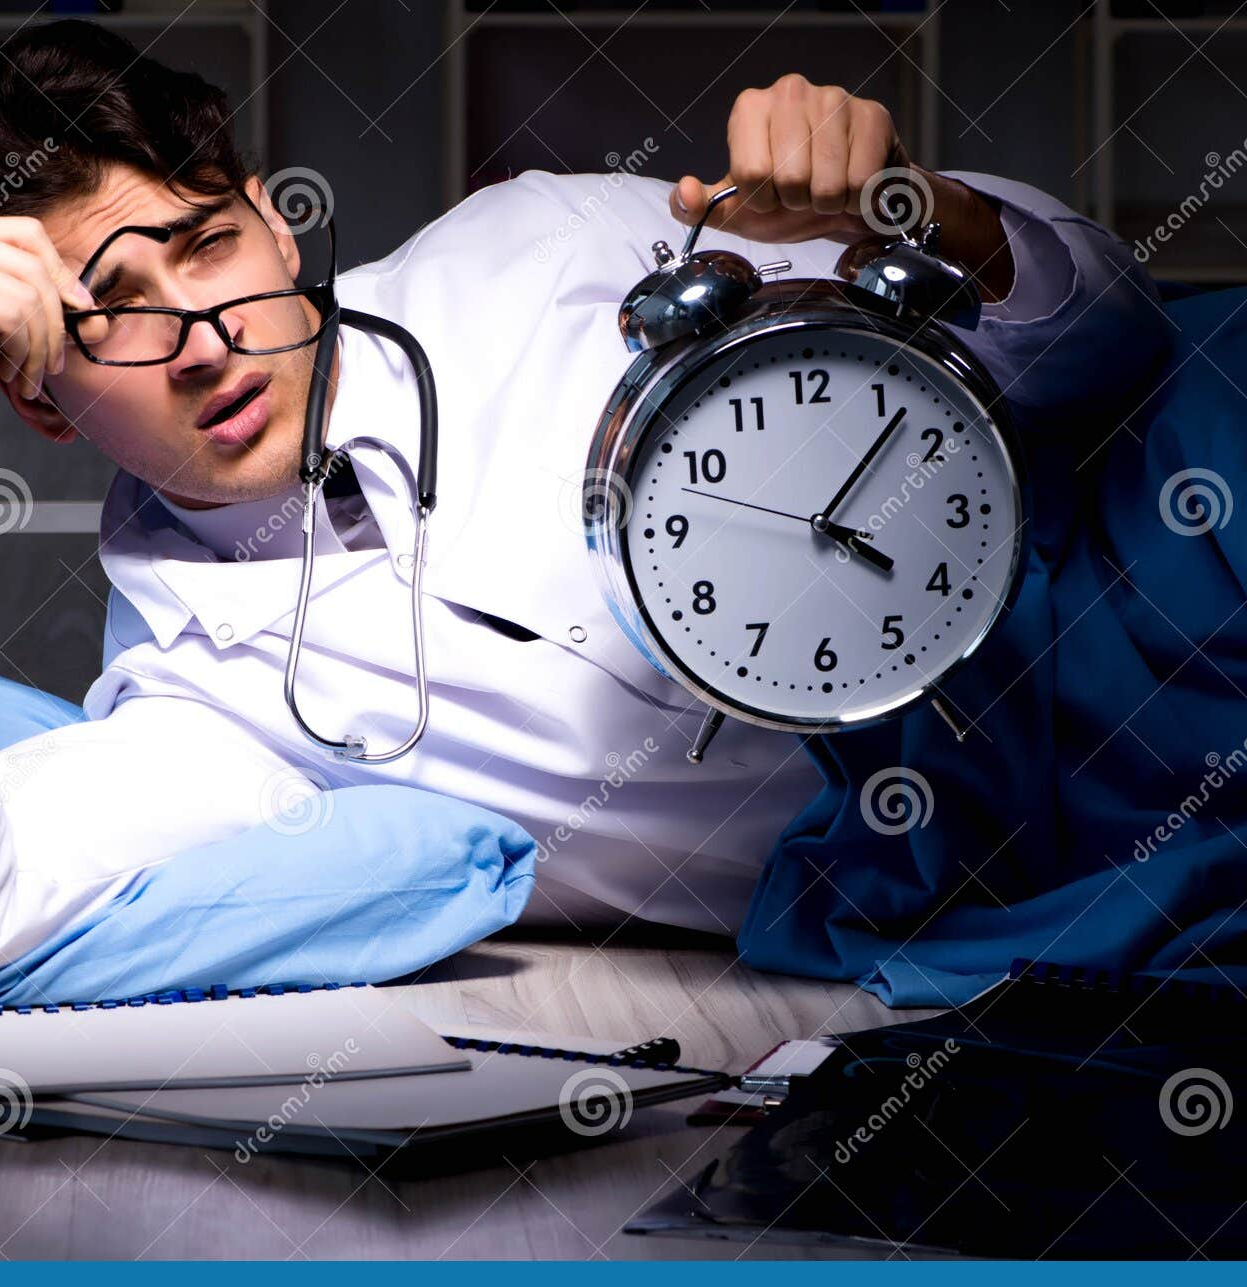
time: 4:06
